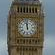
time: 11:58
